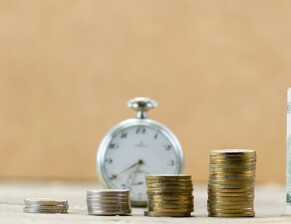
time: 6:39
